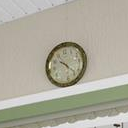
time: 10:22
